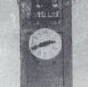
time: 2:41
